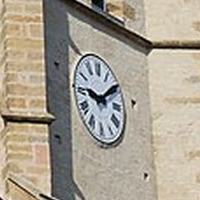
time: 9:09
